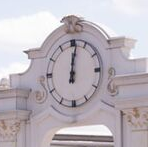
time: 12:01
